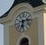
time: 6:13
